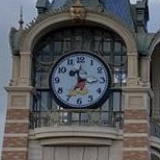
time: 11:35
